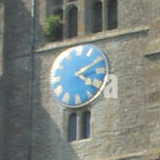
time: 4:10
